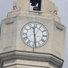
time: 11:28
